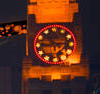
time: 2:52
